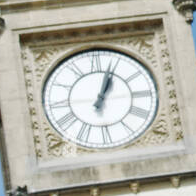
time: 1:03
